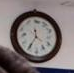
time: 11:35
